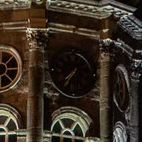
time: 7:35
